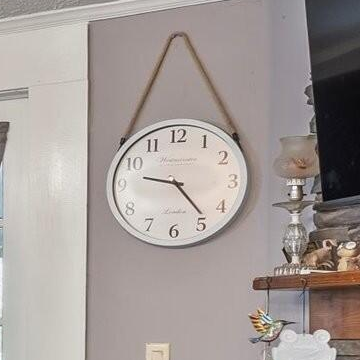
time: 9:23
